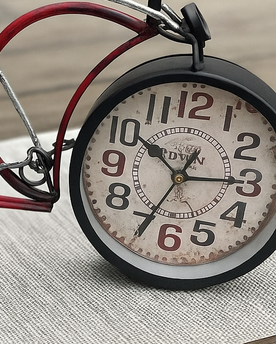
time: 10:14
